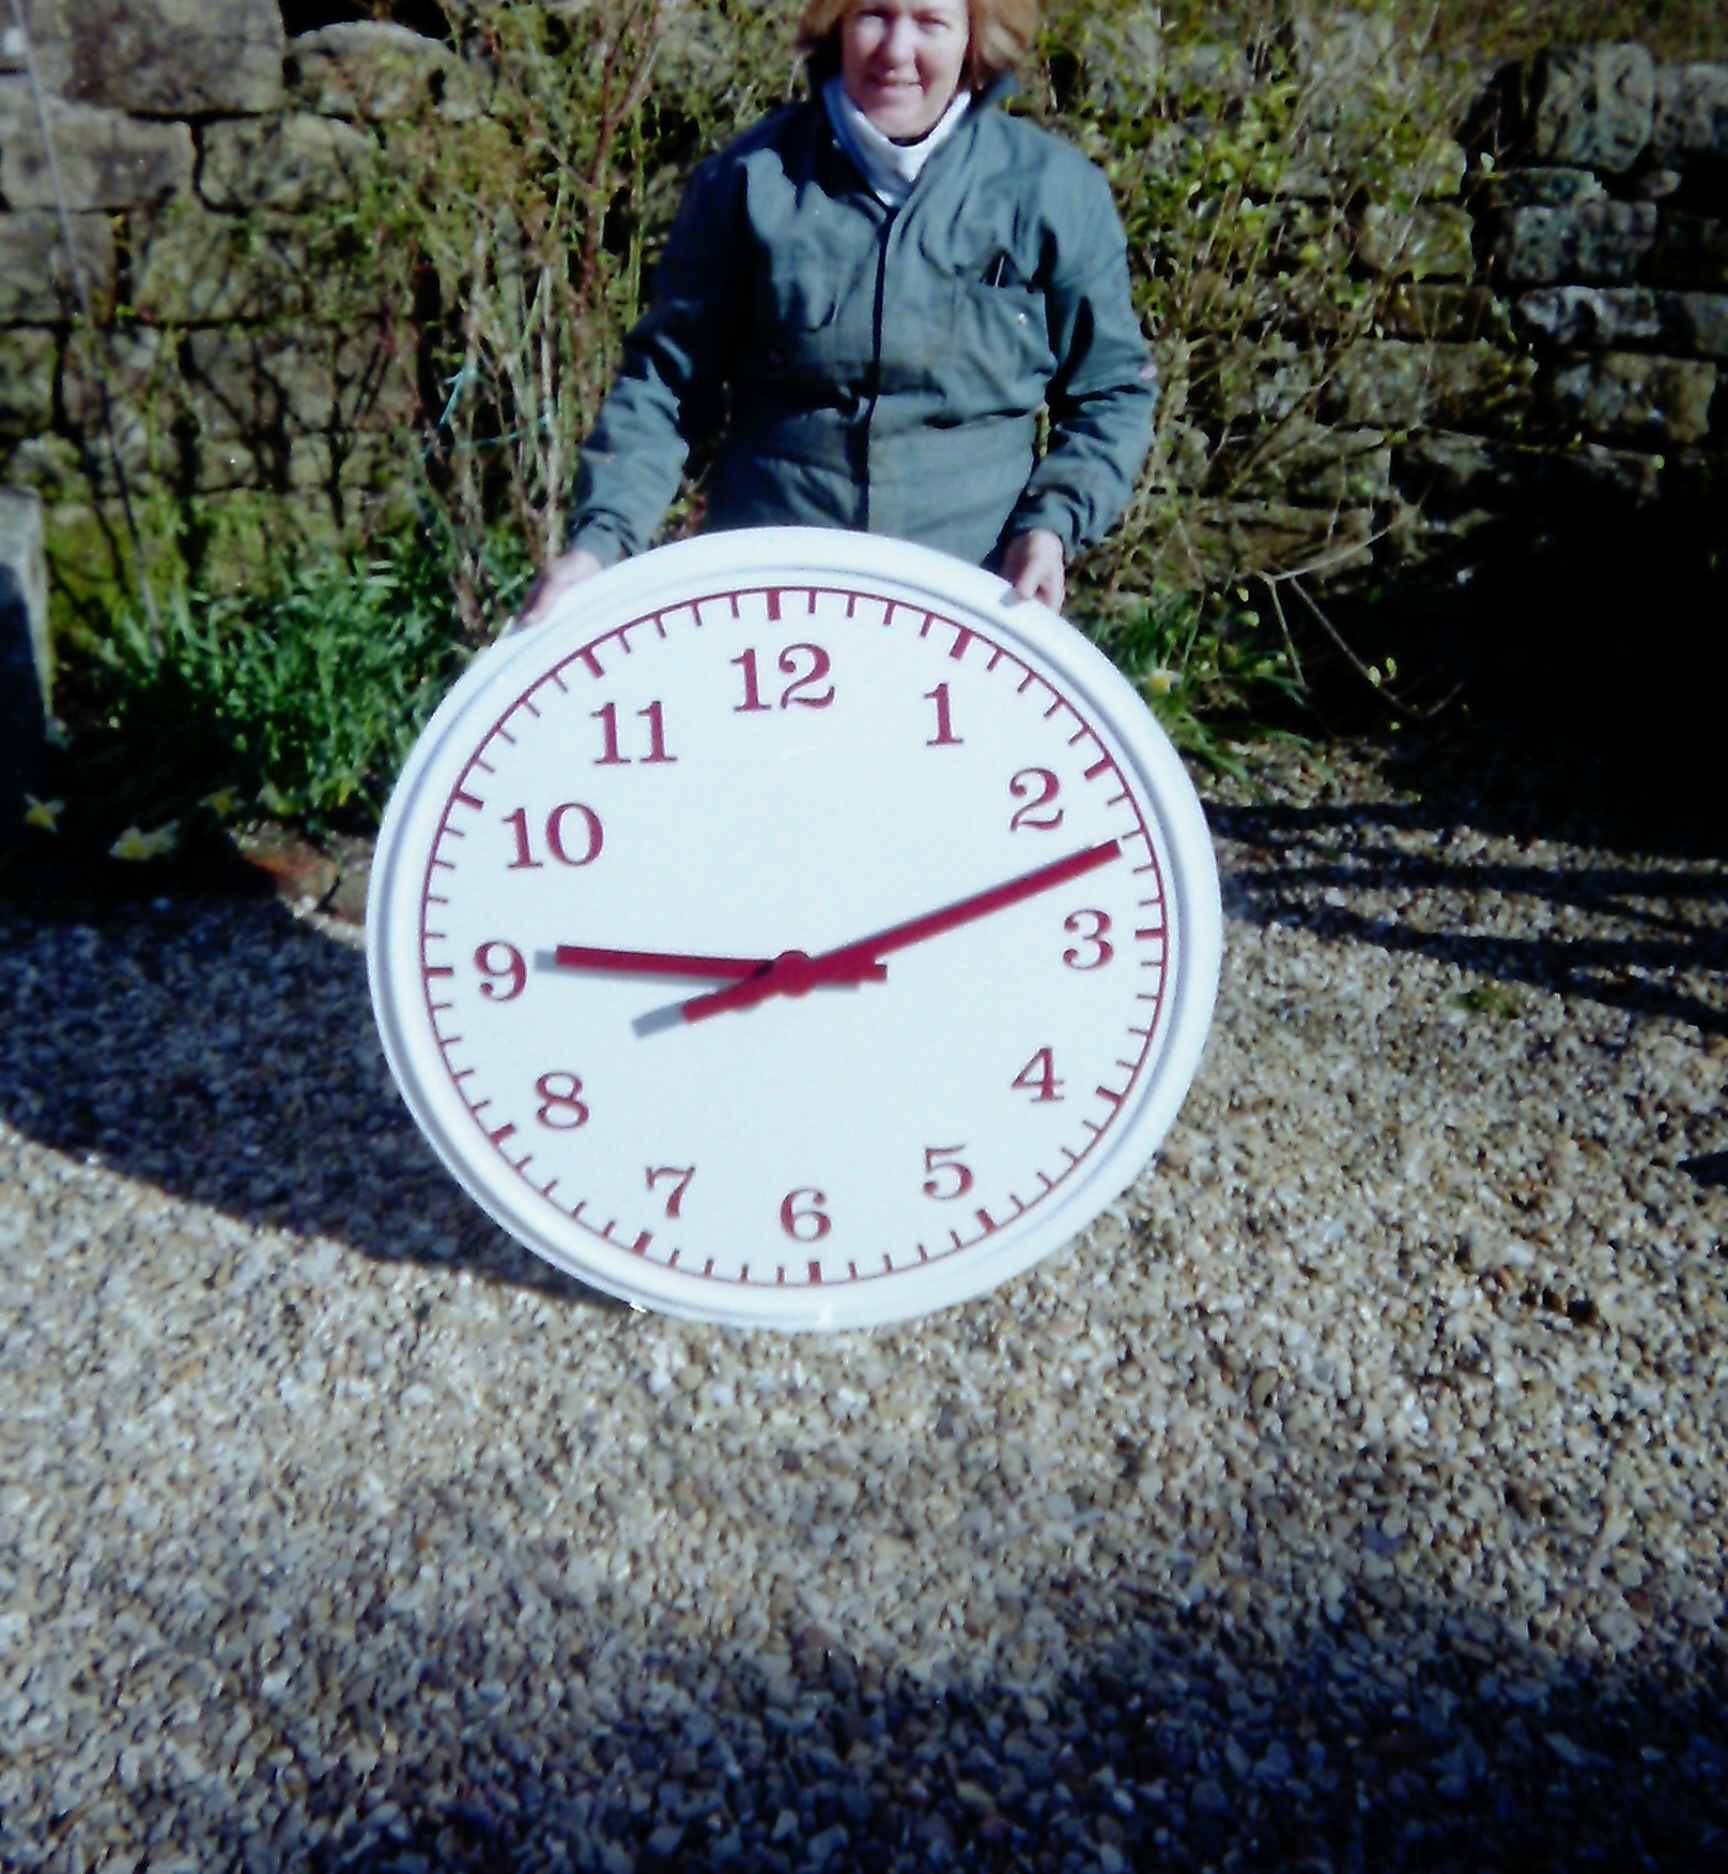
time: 9:12
